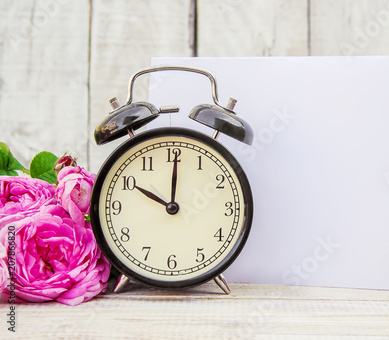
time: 10:00
